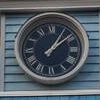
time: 1:08
